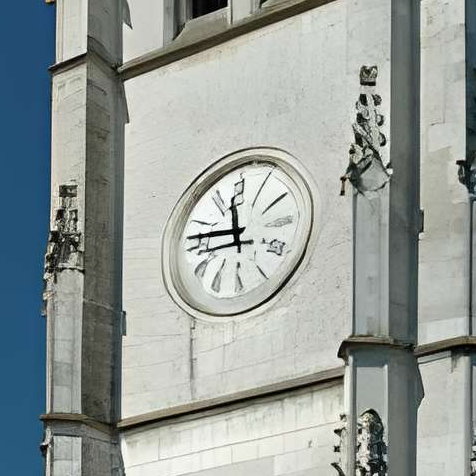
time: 11:46
